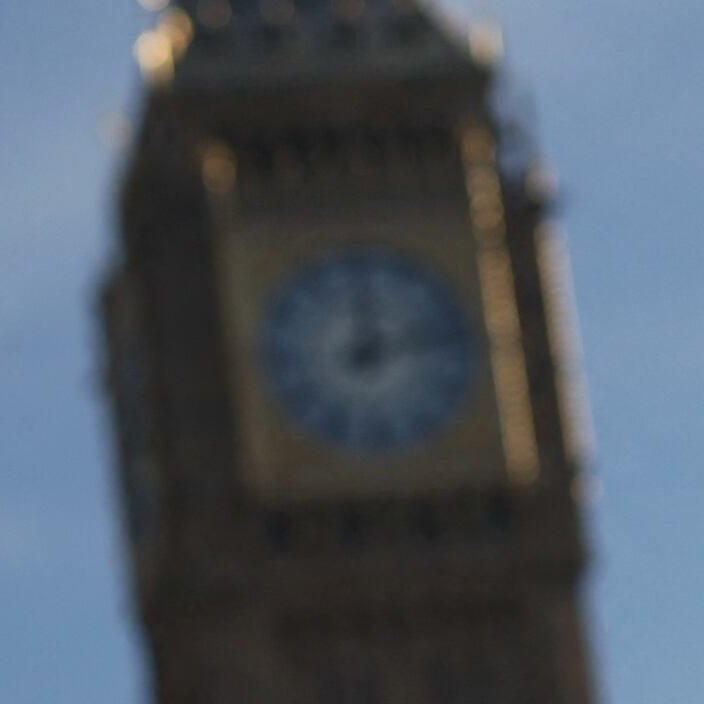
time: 12:12
